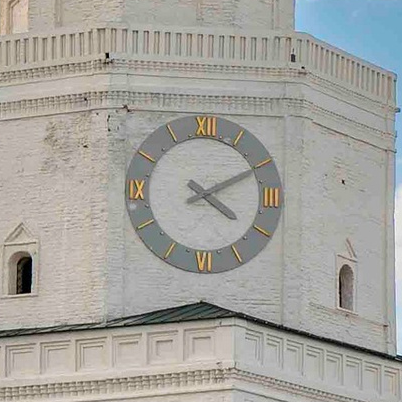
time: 4:10
